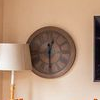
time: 12:29
